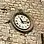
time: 11:13
